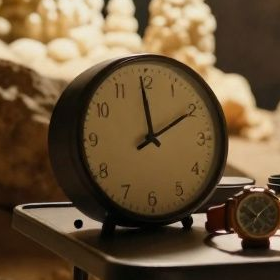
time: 1:59
